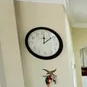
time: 12:08
